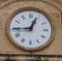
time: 12:44
